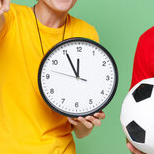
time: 11:55
